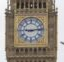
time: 9:13
